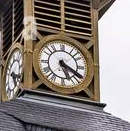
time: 5:19
